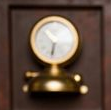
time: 10:32
